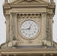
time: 12:43
